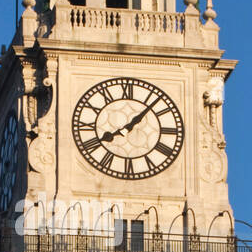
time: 8:07
